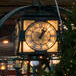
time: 1:02
